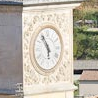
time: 5:54
